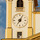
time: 7:04
